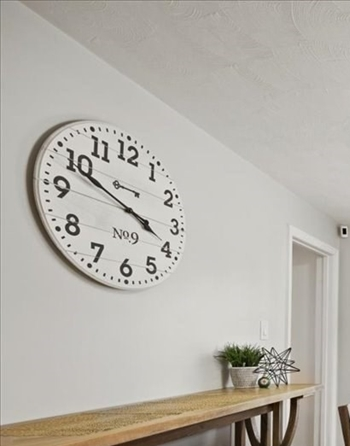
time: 3:48
